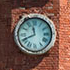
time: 11:41
